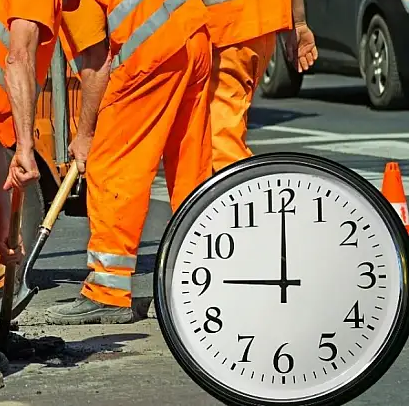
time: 9:00
